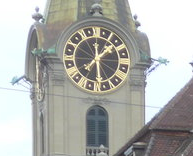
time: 1:28
